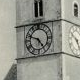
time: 4:48
